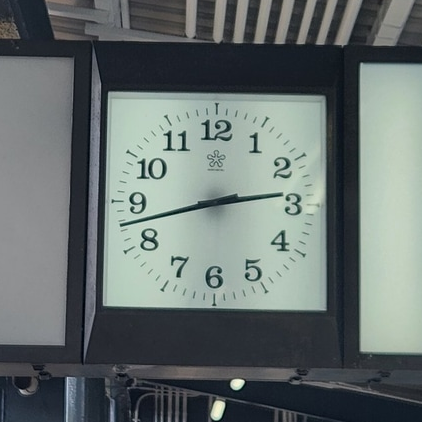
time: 2:42
